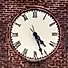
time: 4:26
